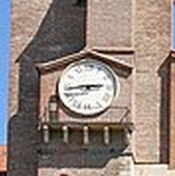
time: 2:44
